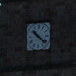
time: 10:21
